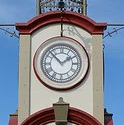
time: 1:52
